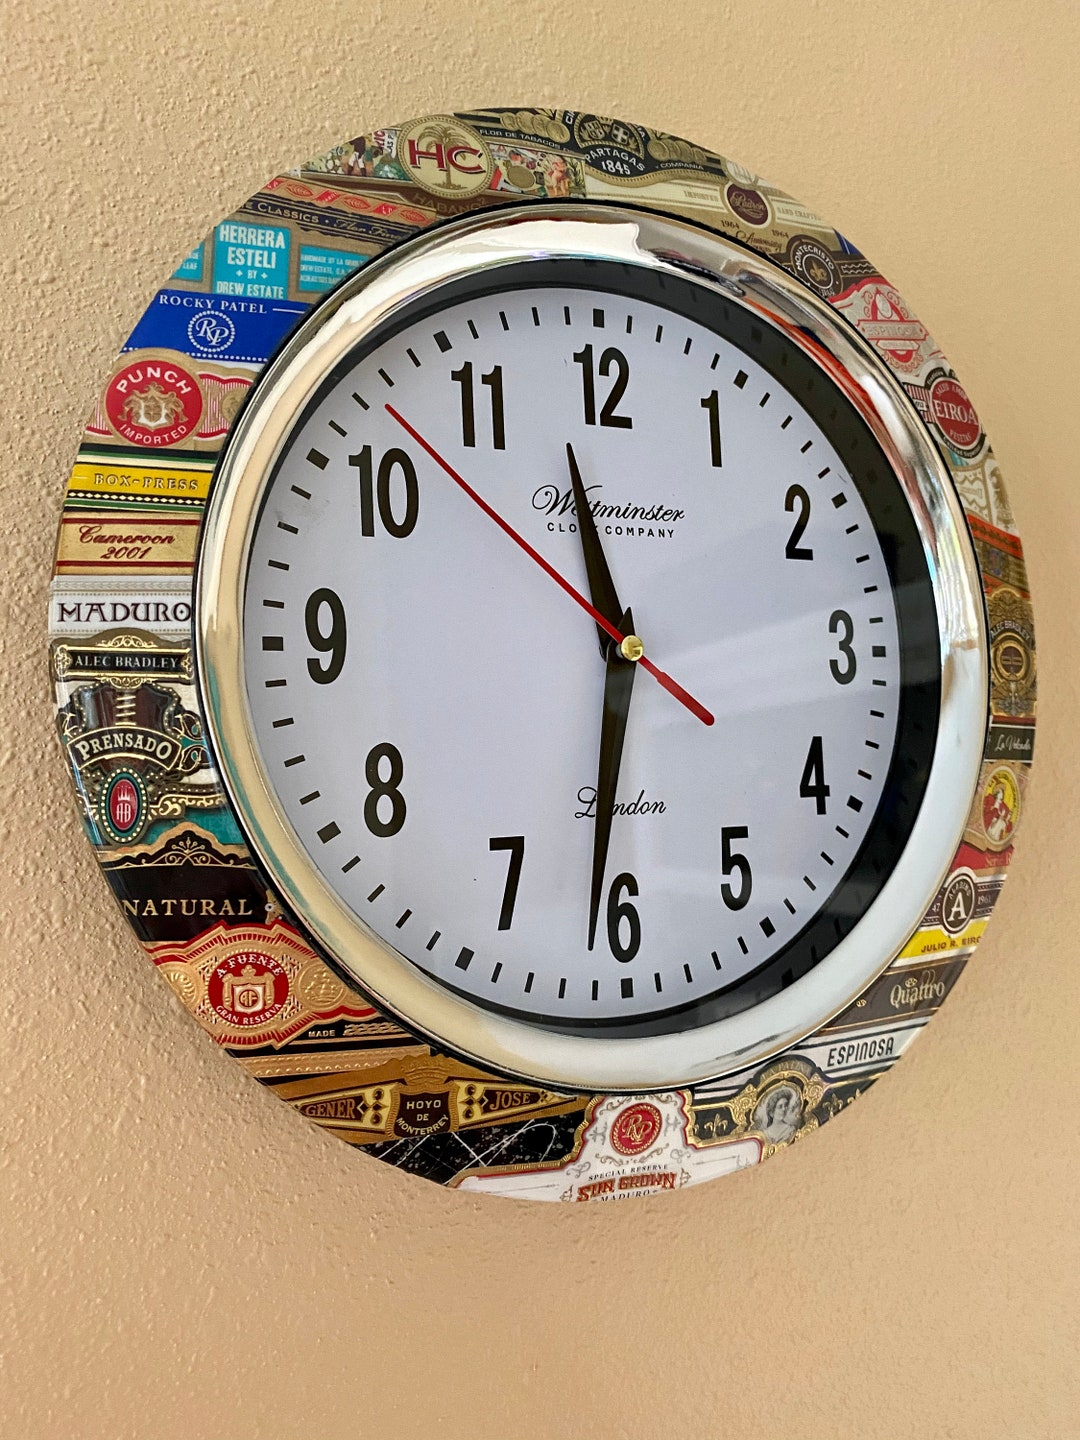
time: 11:31
